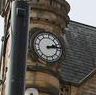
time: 2:13
